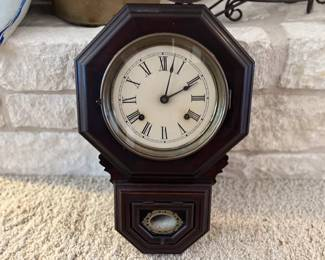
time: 2:02
